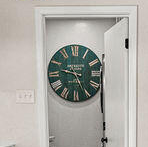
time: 9:26
